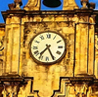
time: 7:25
